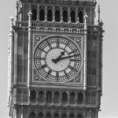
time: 1:12
